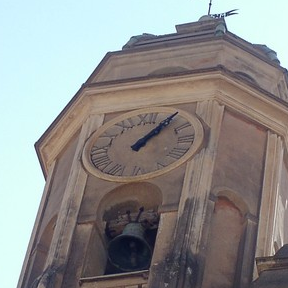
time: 1:06
